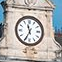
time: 11:34
